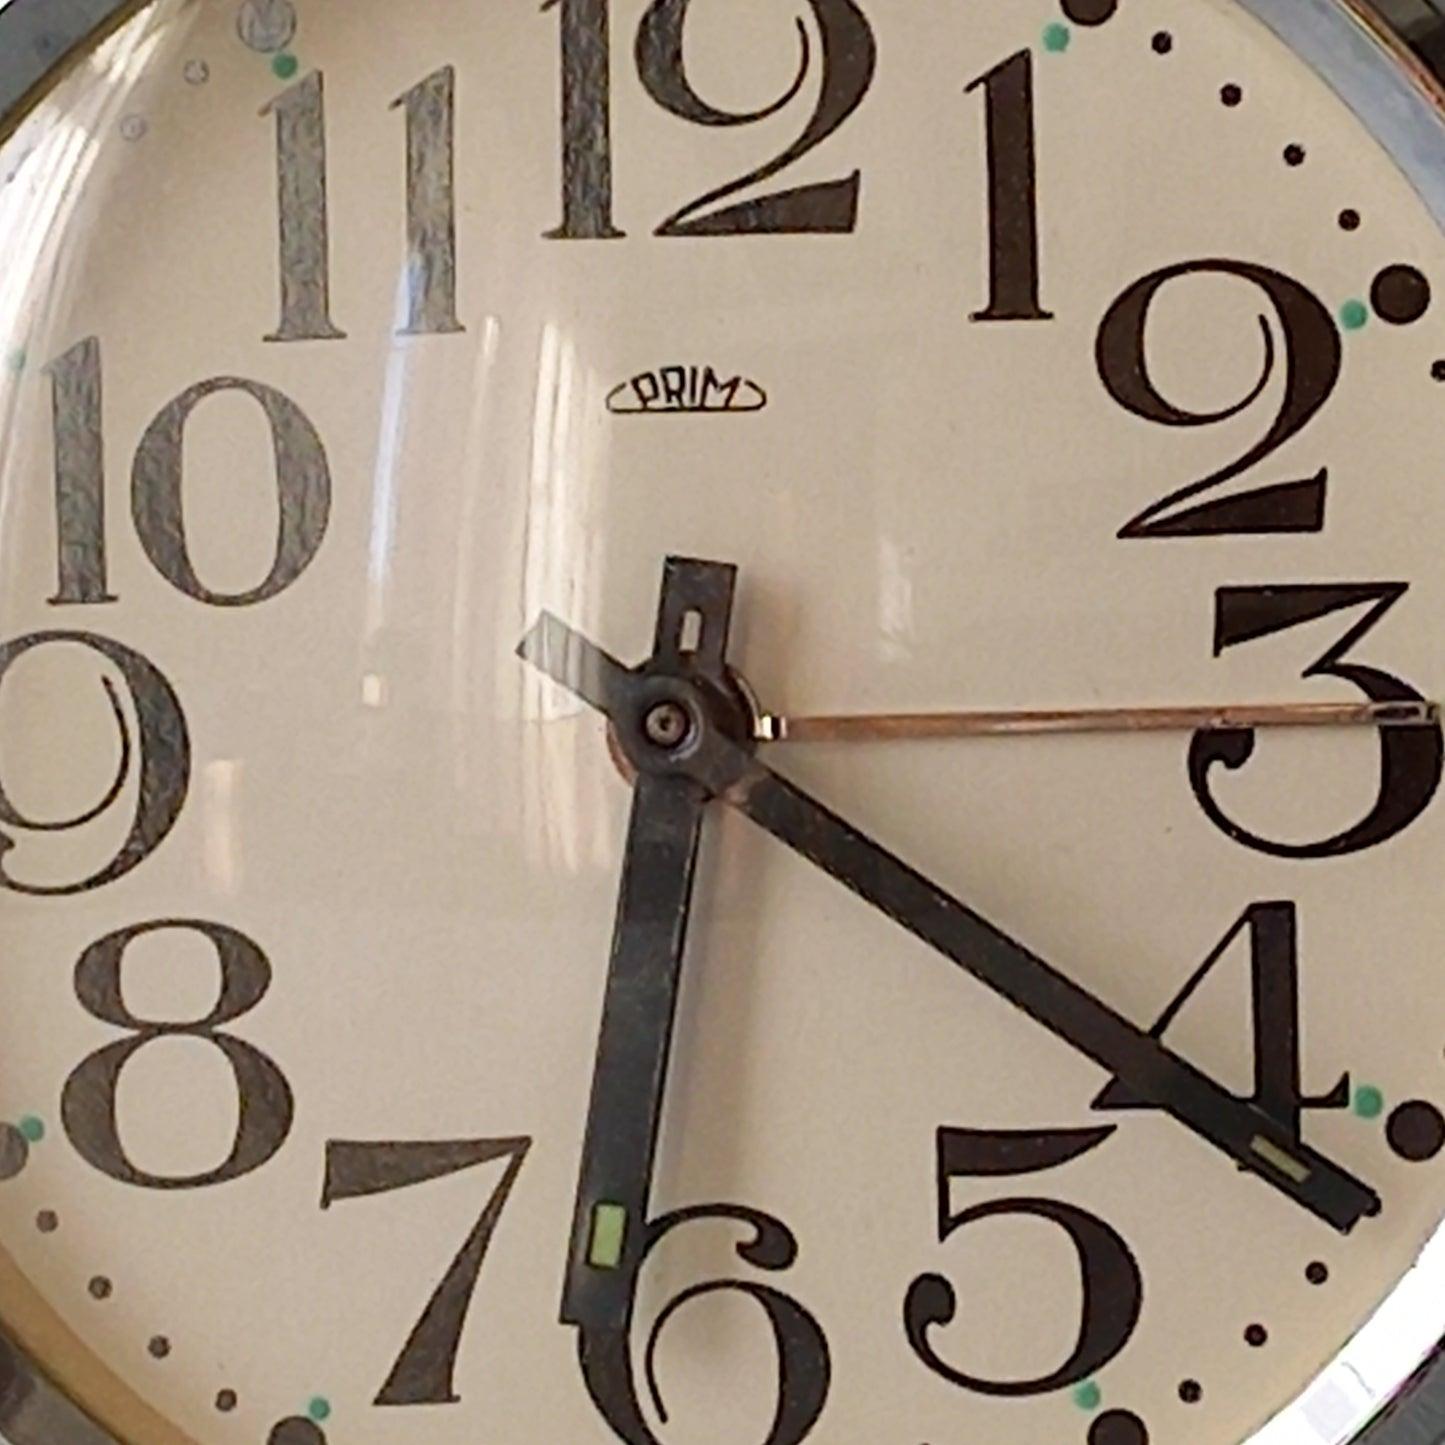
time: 6:21
